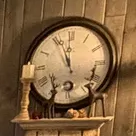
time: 11:56
